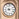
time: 8:12
